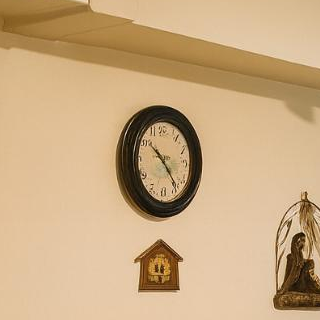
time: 10:23
